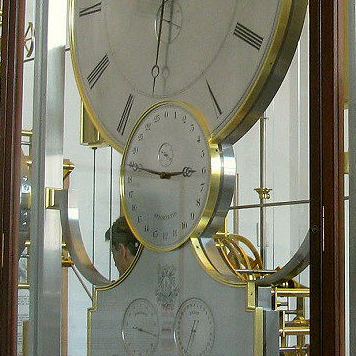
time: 2:46
